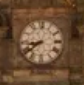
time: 8:39
